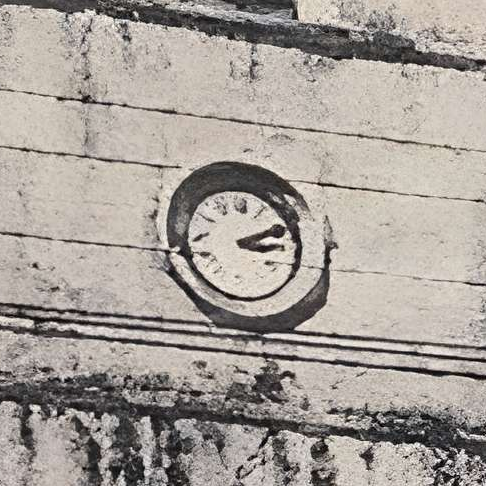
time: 3:10
